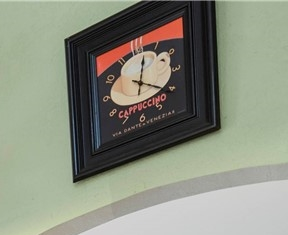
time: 12:21
